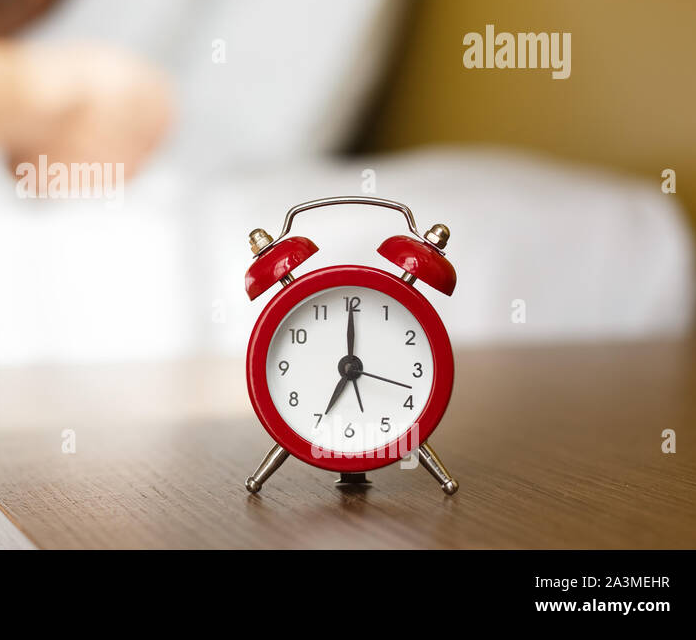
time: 7:00
